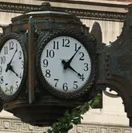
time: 4:06
